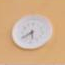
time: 5:38
